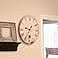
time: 9:35
